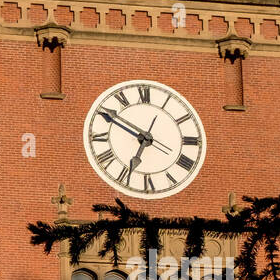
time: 6:49
